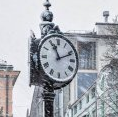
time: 11:11
